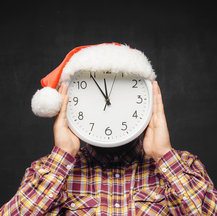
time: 11:54
